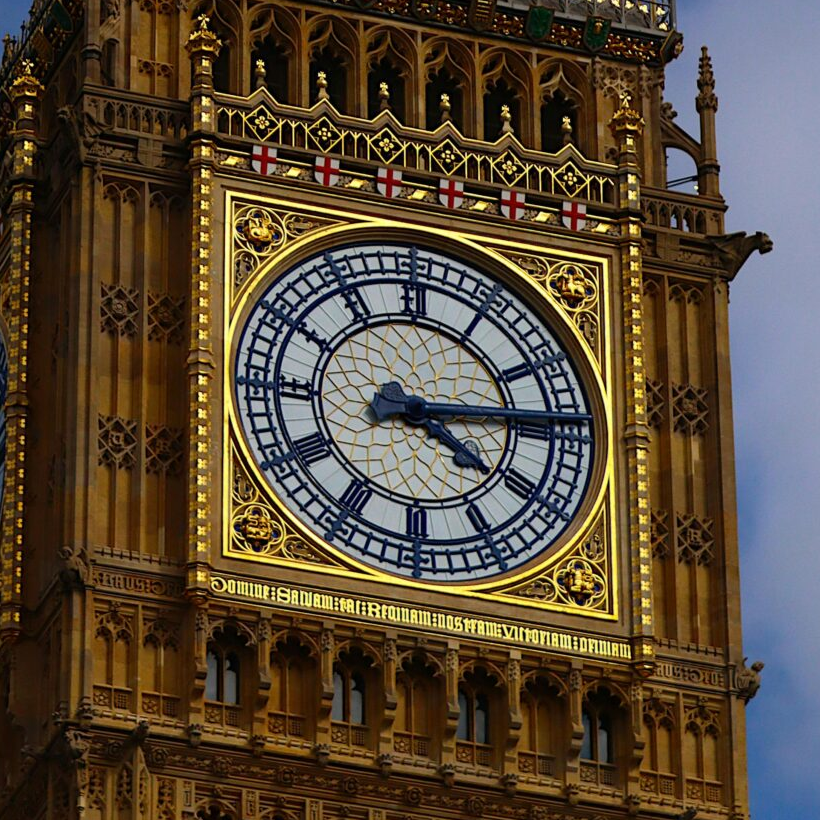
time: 4:13
